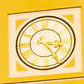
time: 3:24
